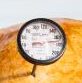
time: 8:12
